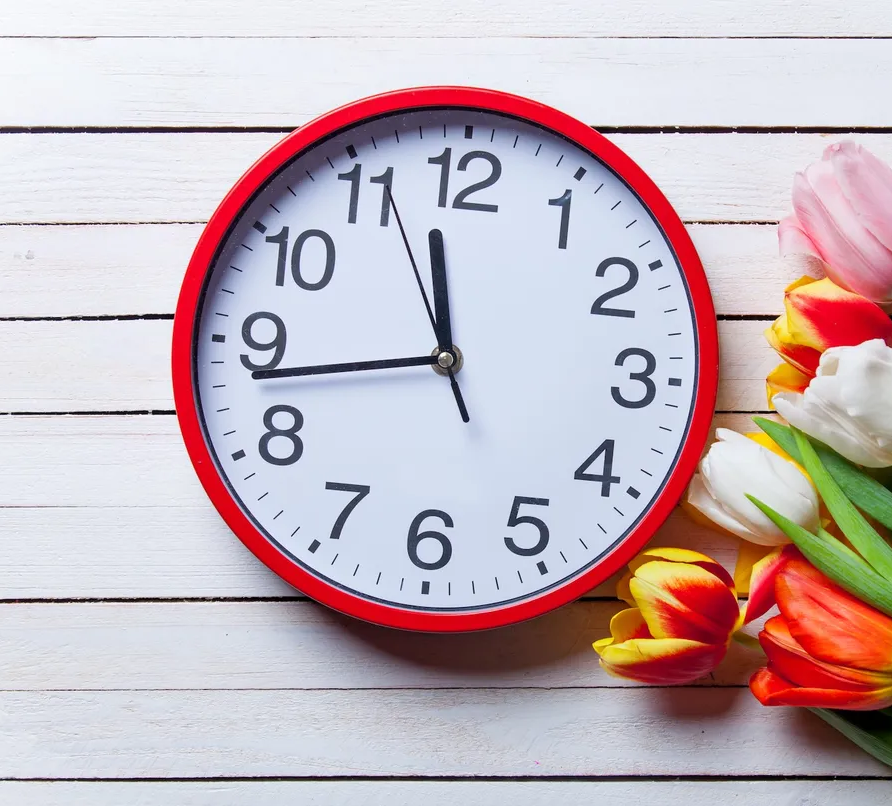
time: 11:43
